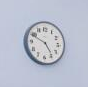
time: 4:49
